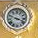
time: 3:48
